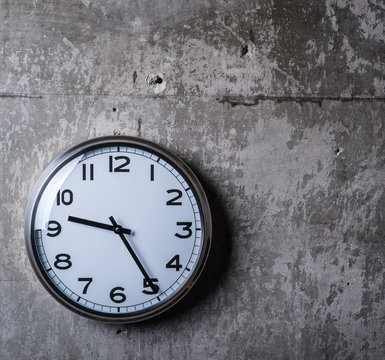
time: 9:24
